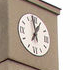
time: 12:58
